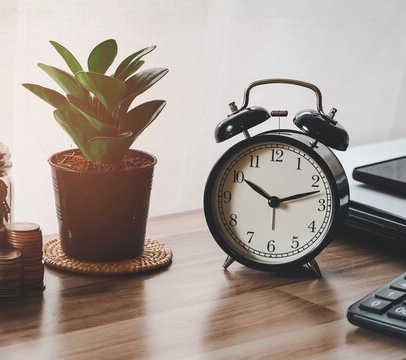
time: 10:12
